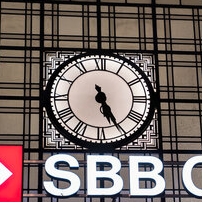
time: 5:25
